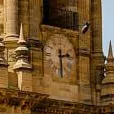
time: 2:29
